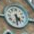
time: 4:29
